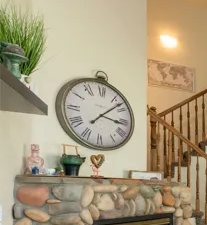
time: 3:07
